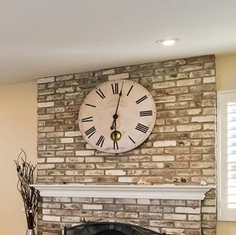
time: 6:02
